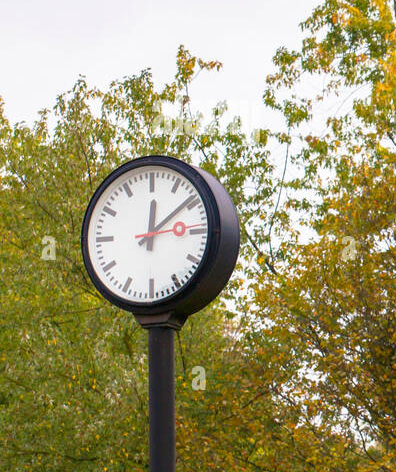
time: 12:08
